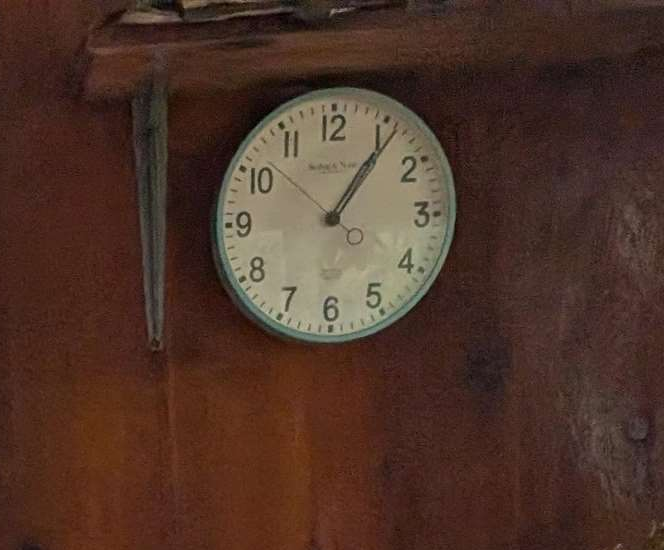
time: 1:06
